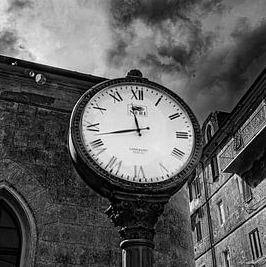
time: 11:42
